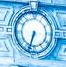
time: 6:33
